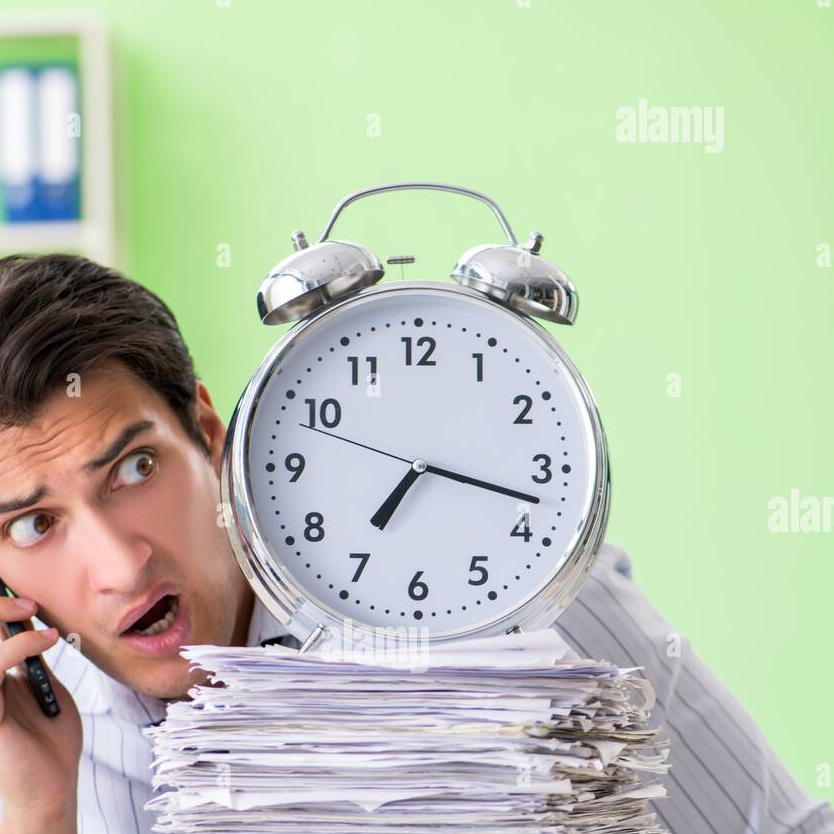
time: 7:17
